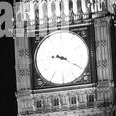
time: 9:20
